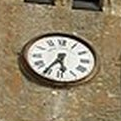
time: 5:35
